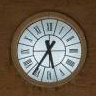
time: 5:35
